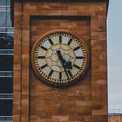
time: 4:26
